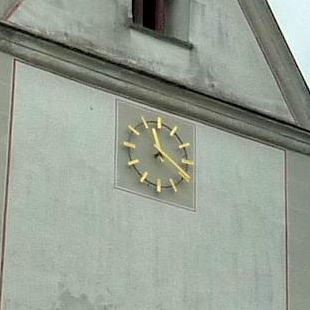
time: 11:19
